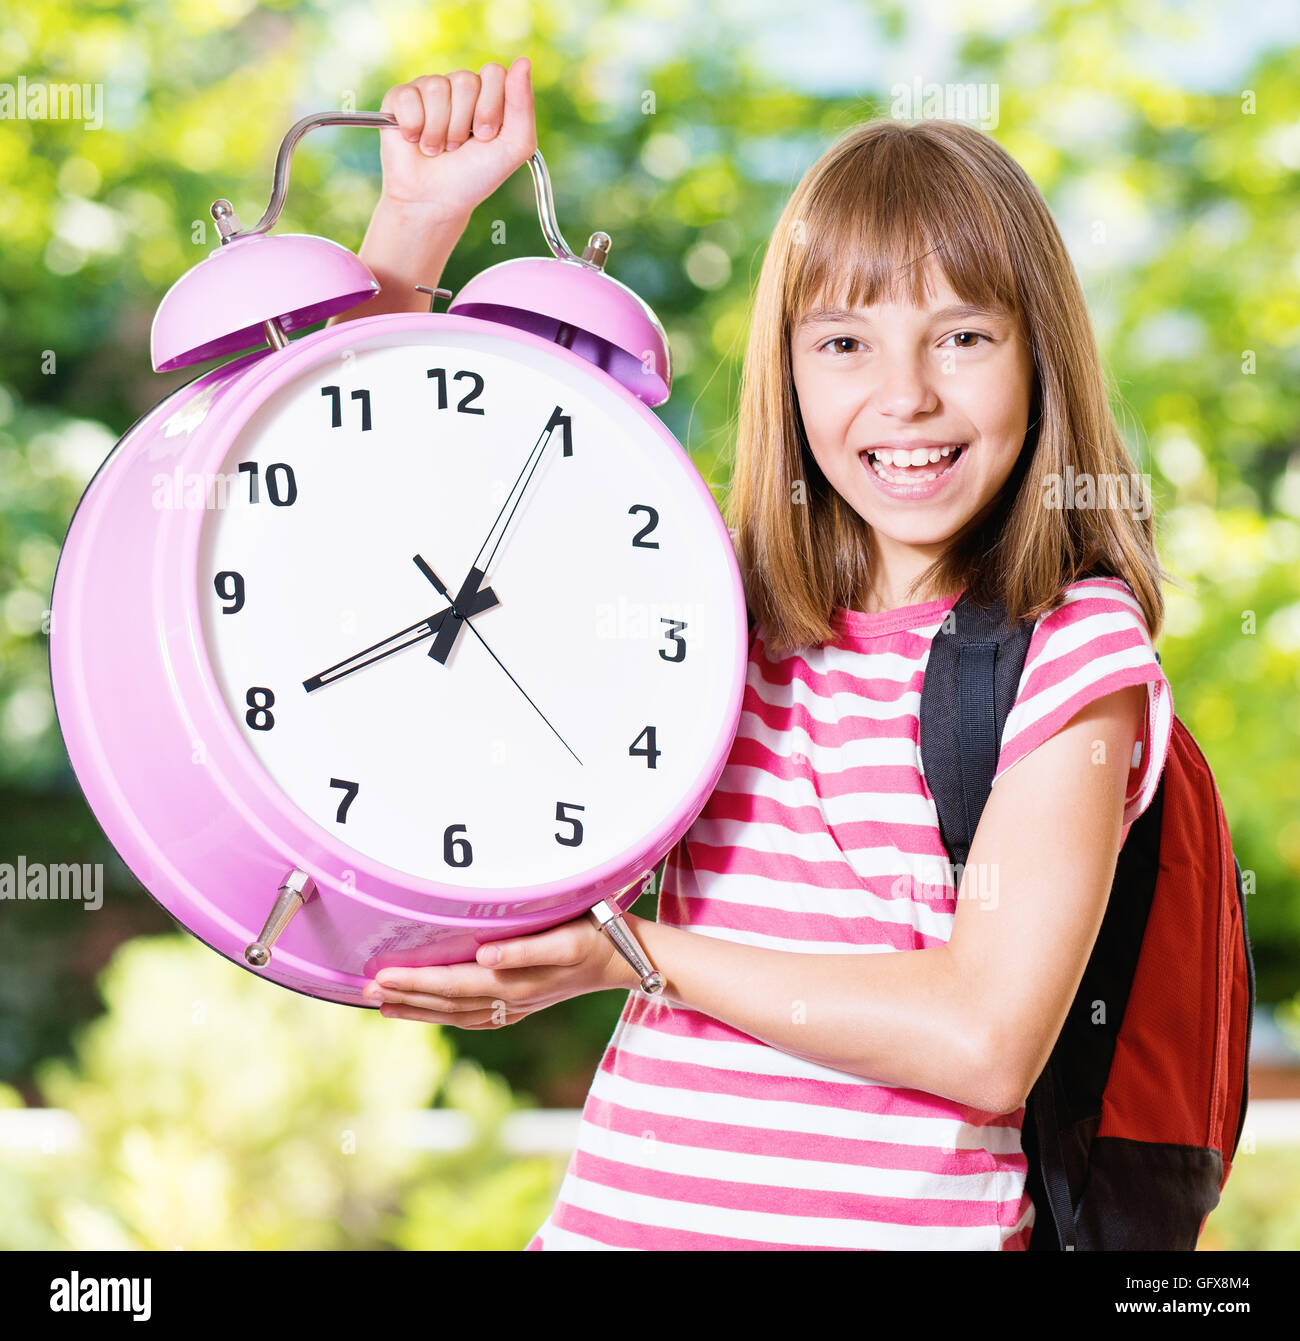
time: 8:04
